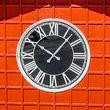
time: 10:06
